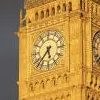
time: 5:36
